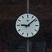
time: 9:08
